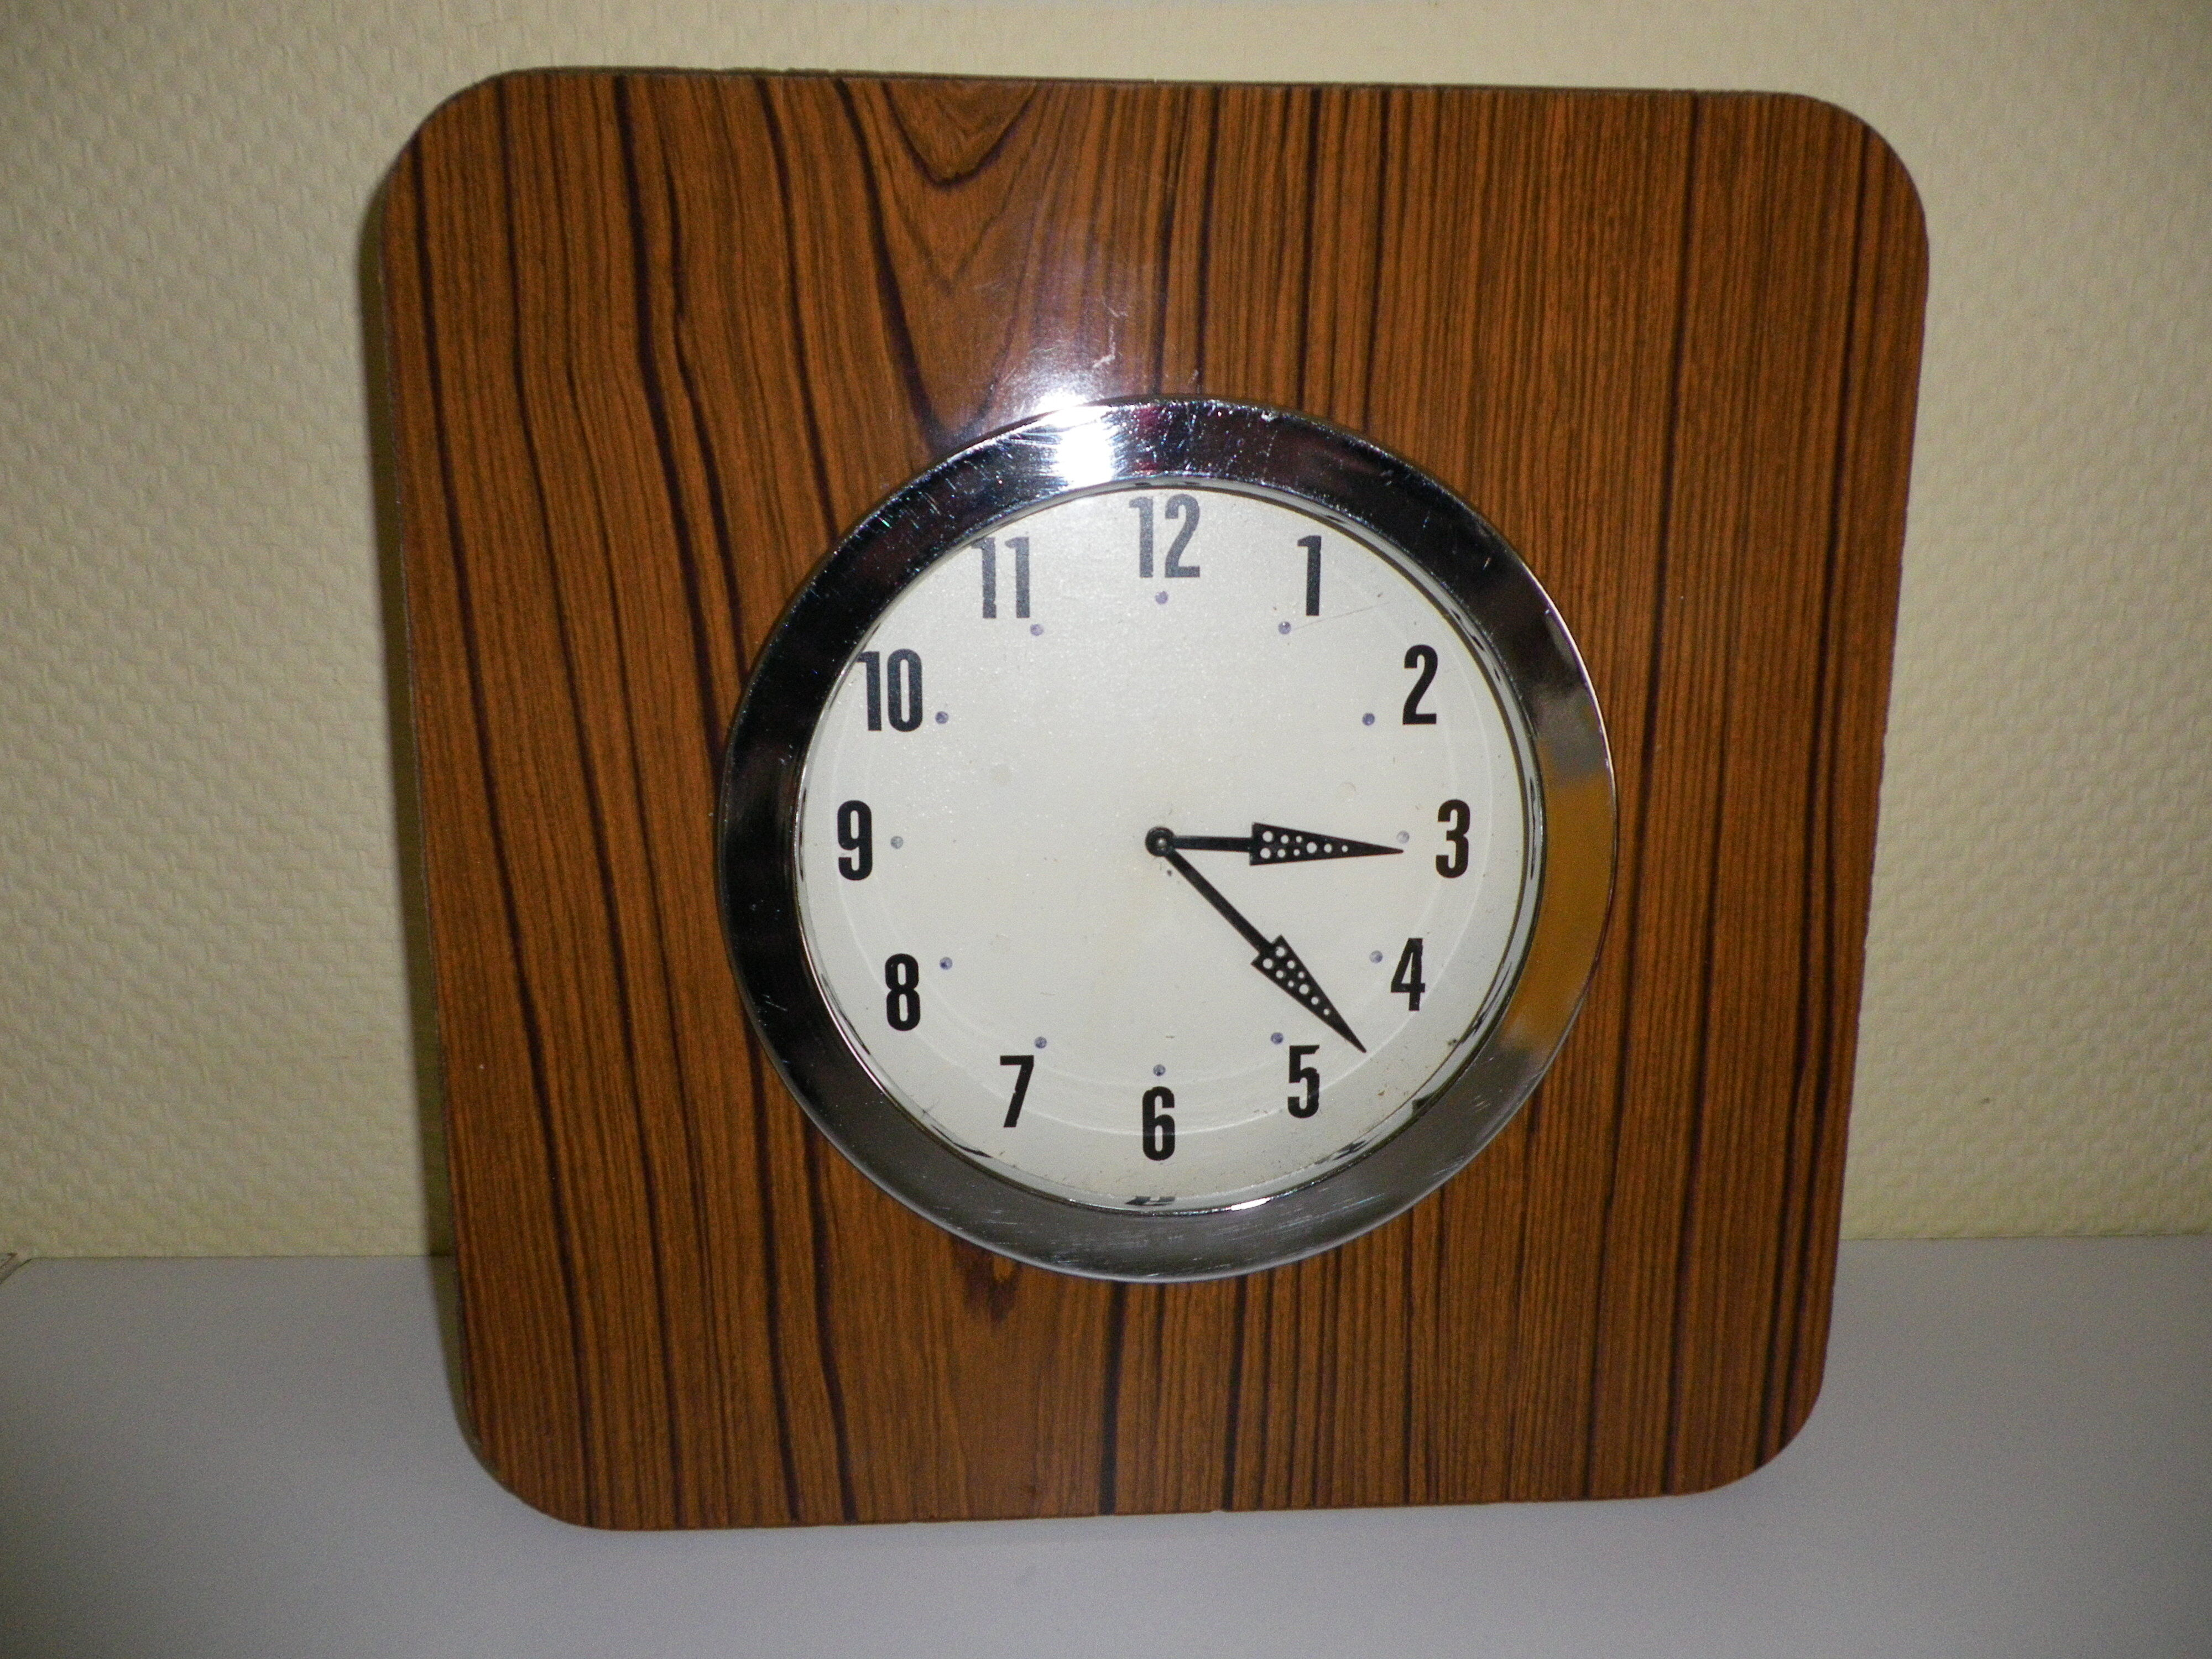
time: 3:22
